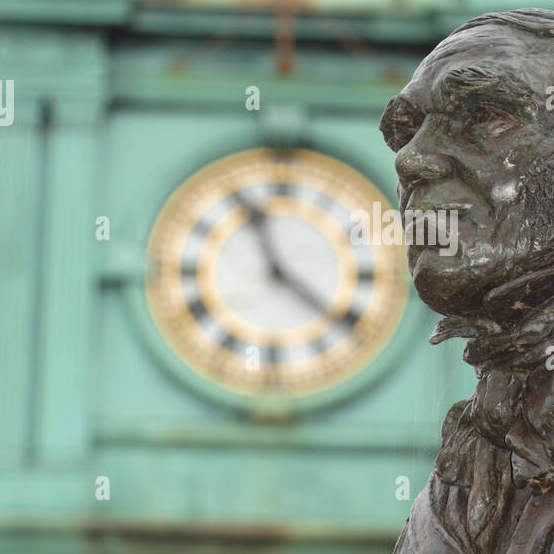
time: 11:21
